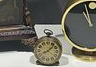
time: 8:07
